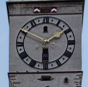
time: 1:49
